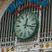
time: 12:17
